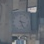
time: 3:26
